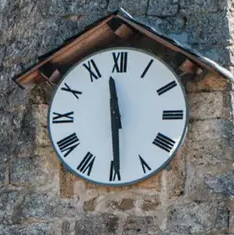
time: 11:29
